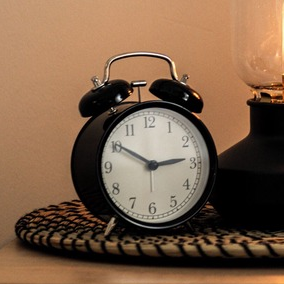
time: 2:50
